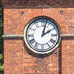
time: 2:02
